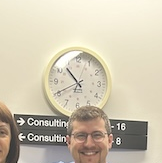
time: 10:40
